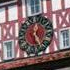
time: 12:24
